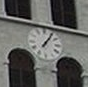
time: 1:05
